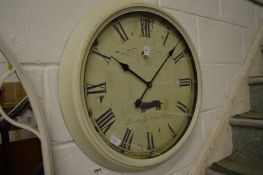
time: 10:07
